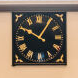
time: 10:05
